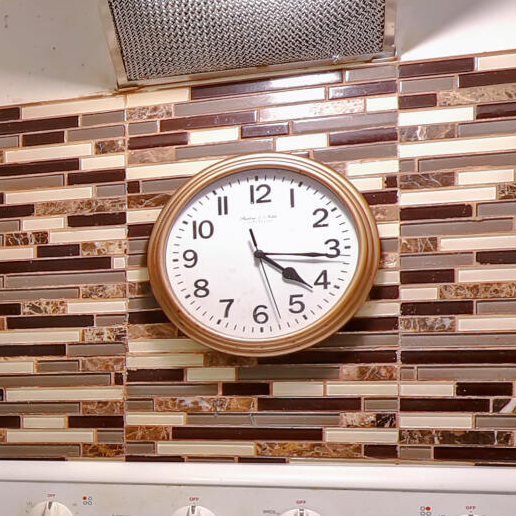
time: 4:15
